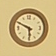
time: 5:49
